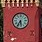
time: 5:35
